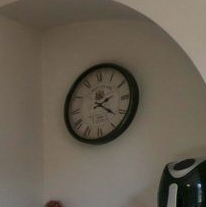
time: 2:21
